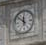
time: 11:51
